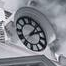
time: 2:06
